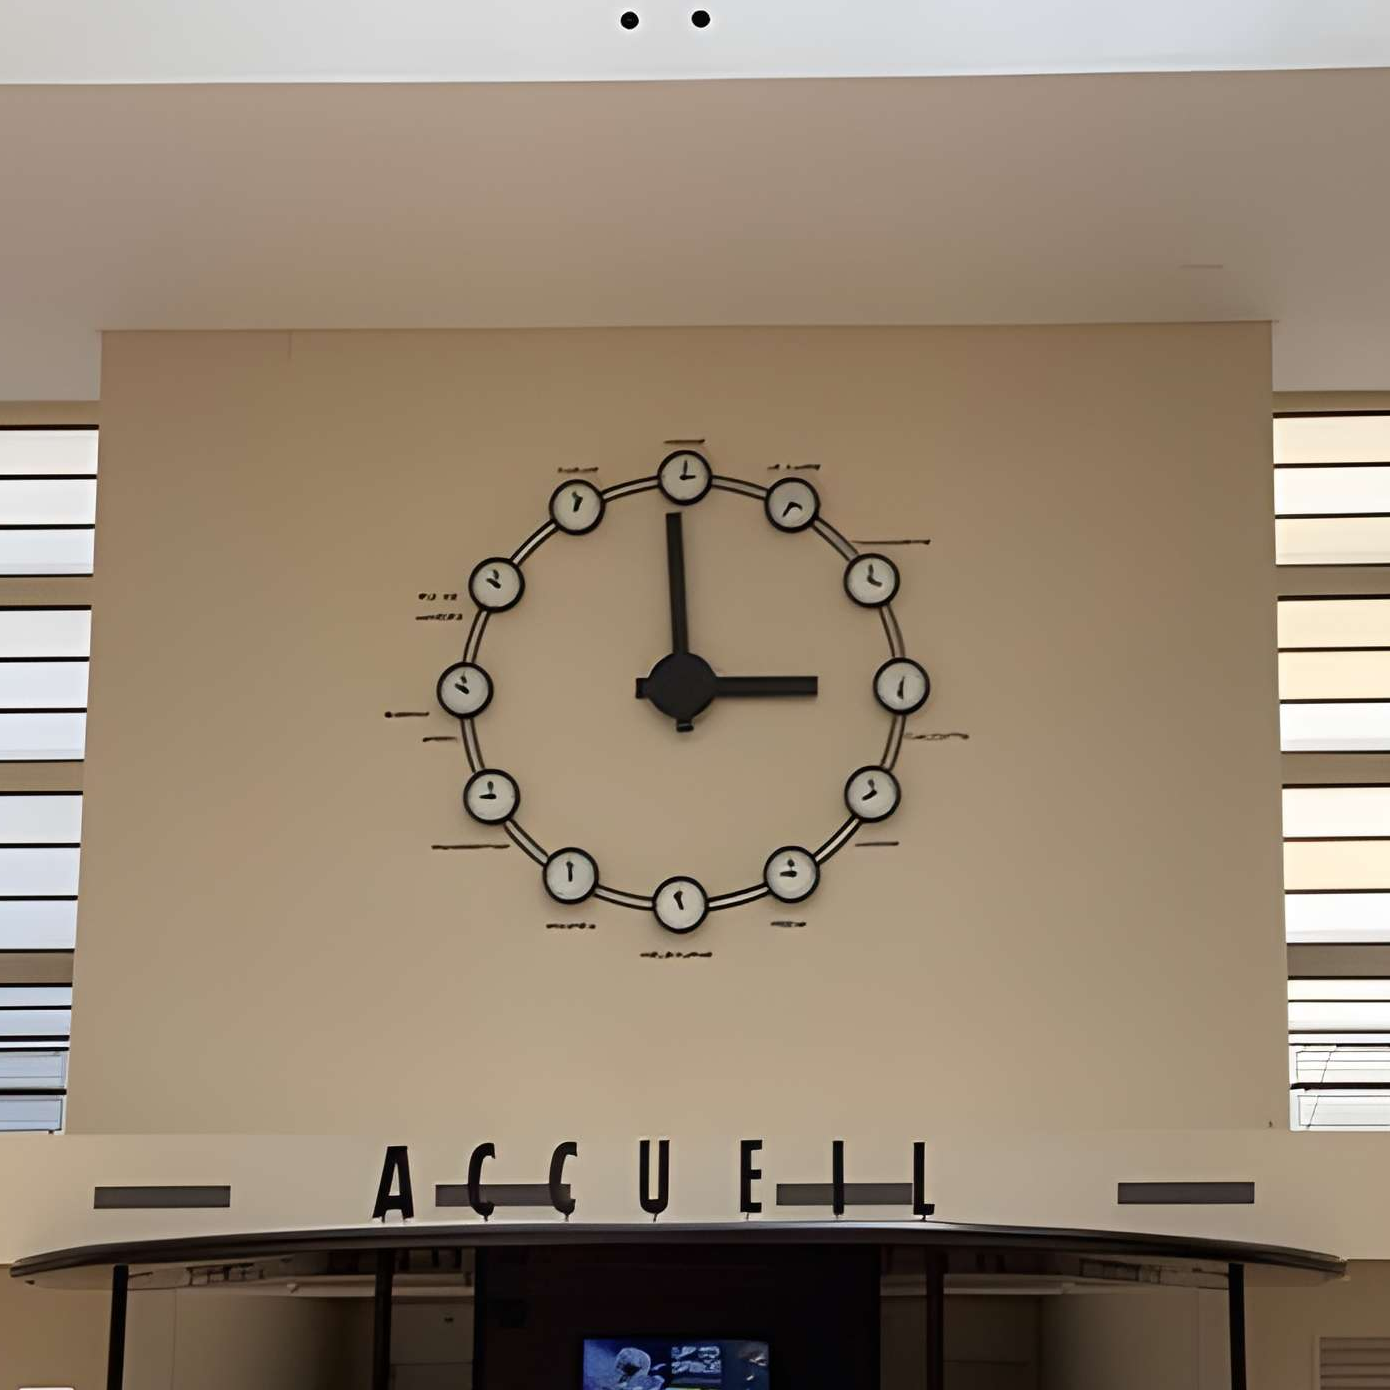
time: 2:59
